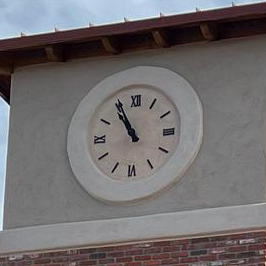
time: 10:55
